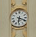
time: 6:18
